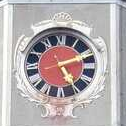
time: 5:11
